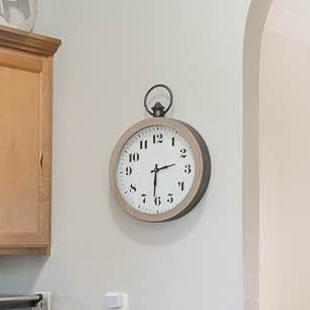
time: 2:30
